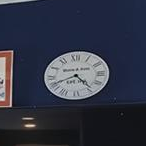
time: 4:41
